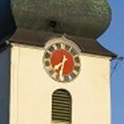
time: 7:32
